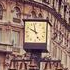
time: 9:57
